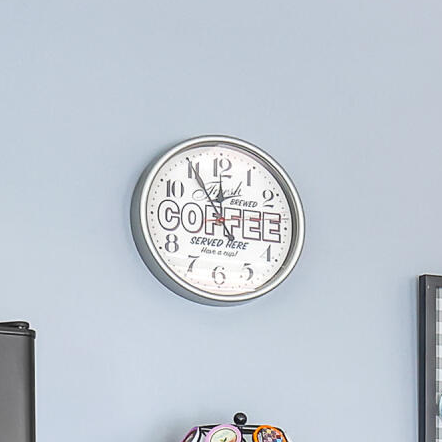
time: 11:54
